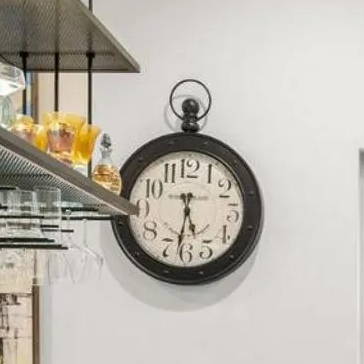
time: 5:31
